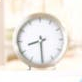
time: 8:29
